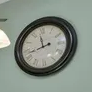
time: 11:42
